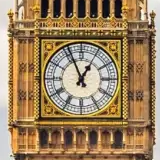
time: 12:56
